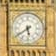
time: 5:39
